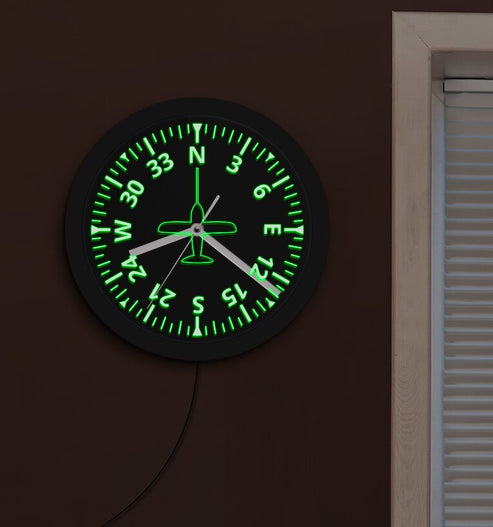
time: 8:21
